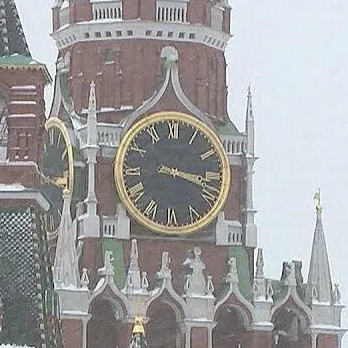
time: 3:17
